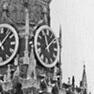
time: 12:07
